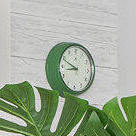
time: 8:48
